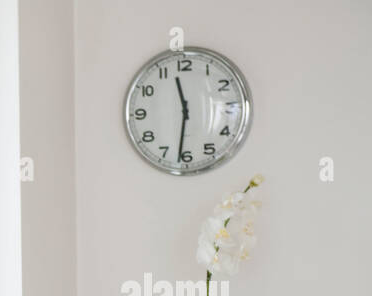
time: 11:31
